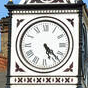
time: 5:22
